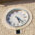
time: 5:22
